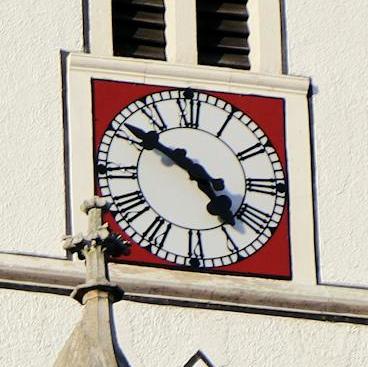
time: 4:50
